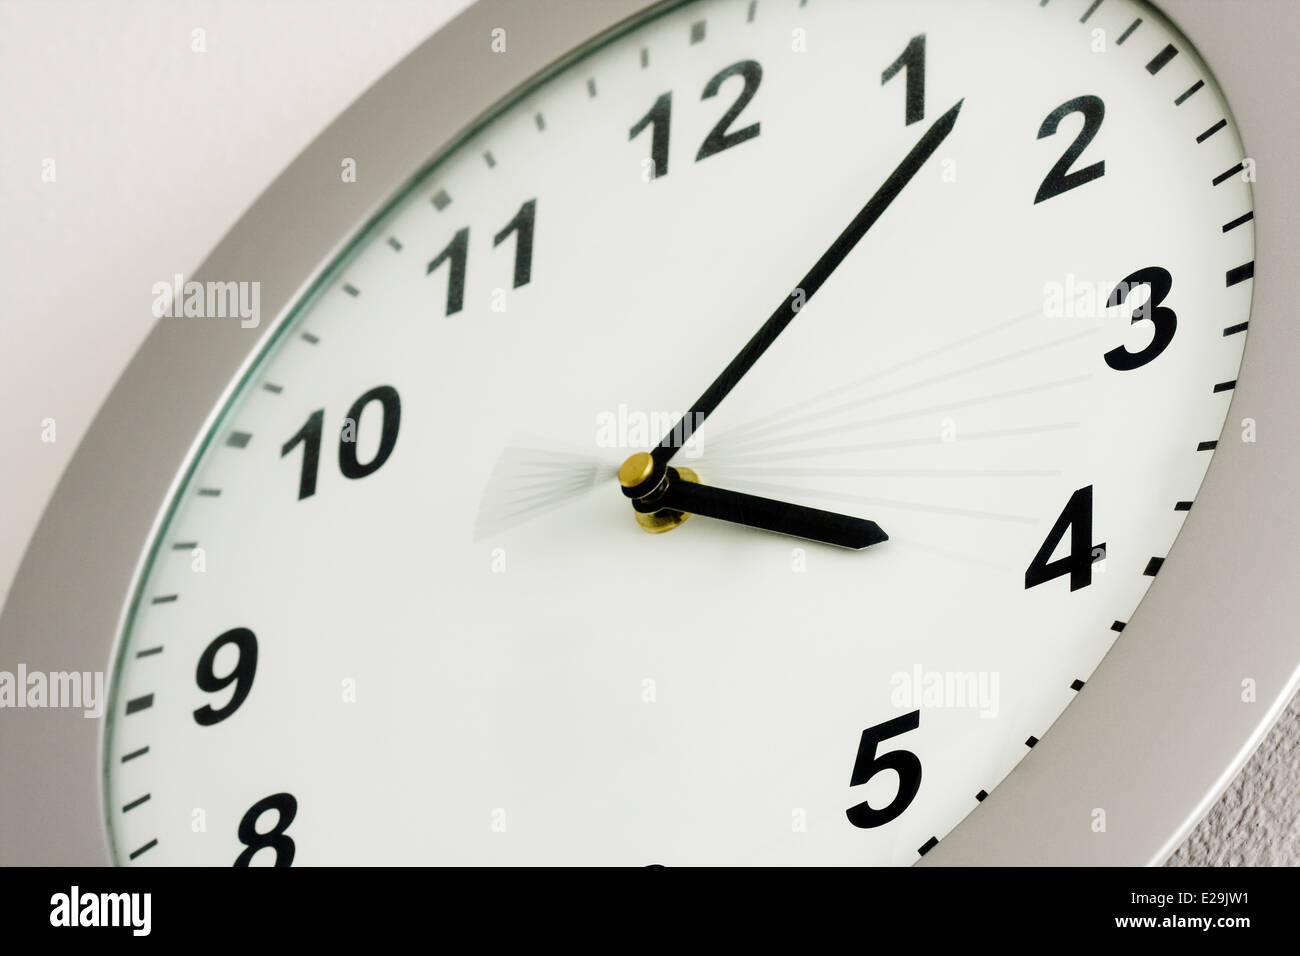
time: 4:07
